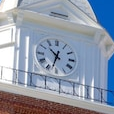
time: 10:32
